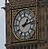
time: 1:12
